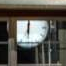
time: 12:00
